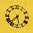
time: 5:37
